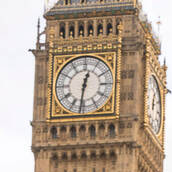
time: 12:31
